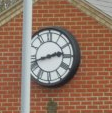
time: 2:42
